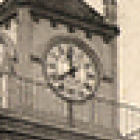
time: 7:59
